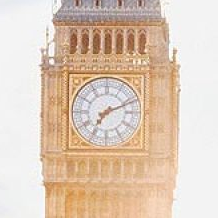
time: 7:11
